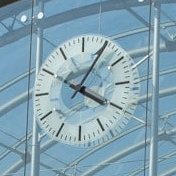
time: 4:05
